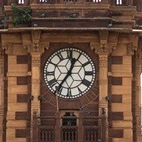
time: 12:35
